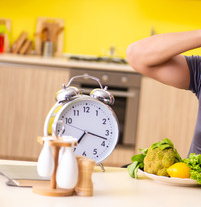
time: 7:17
